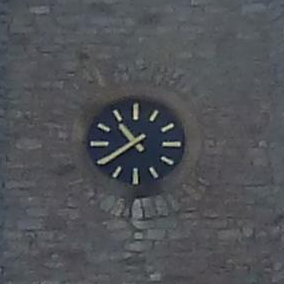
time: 10:38
